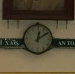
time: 12:09
